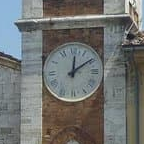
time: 12:09
